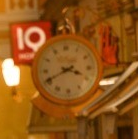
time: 3:40
